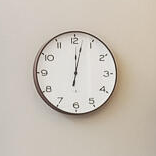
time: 12:02
